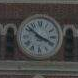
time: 3:51
